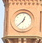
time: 12:37
